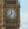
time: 11:37
